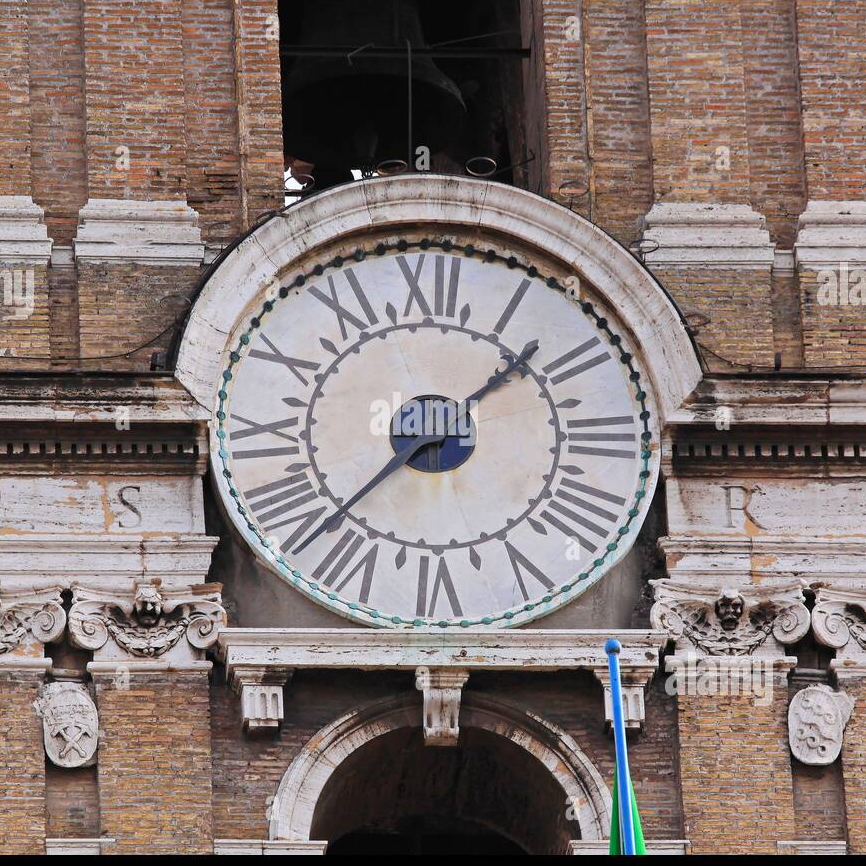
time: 1:37
